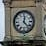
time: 12:23
